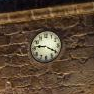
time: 9:20
